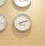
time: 2:11
